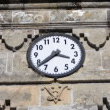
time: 3:38
